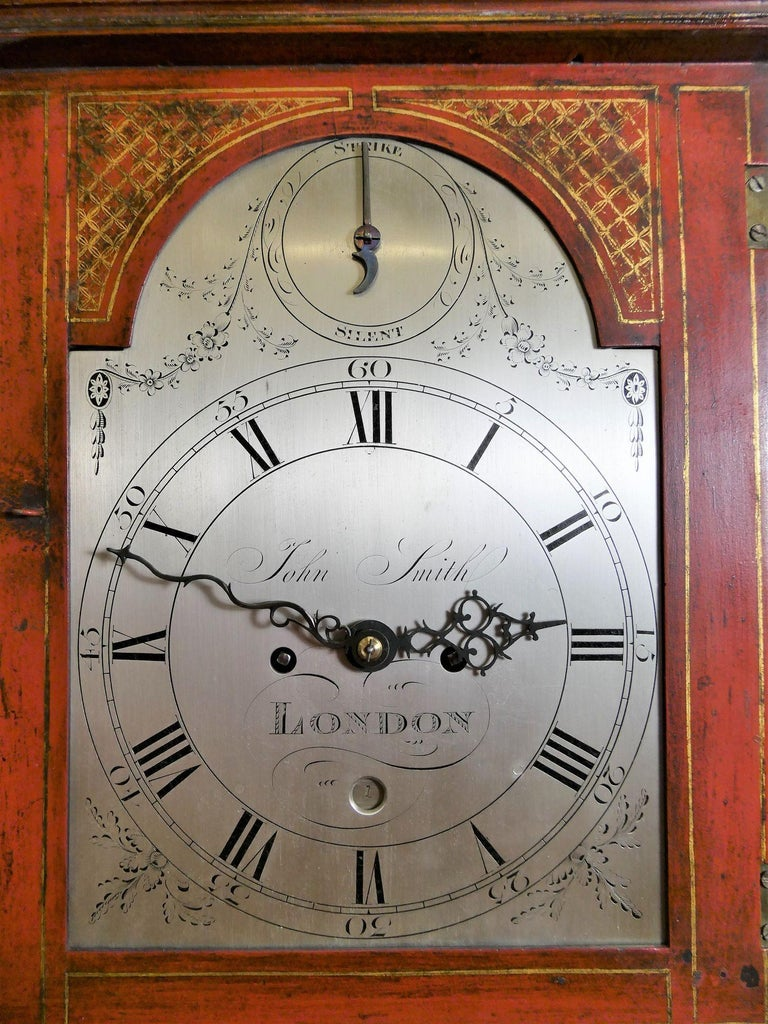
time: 2:48
